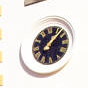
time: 1:07
